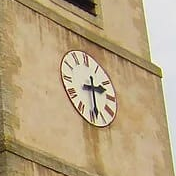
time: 2:29
